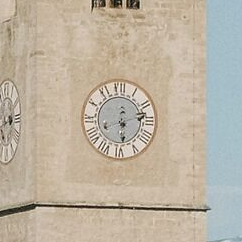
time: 12:12
